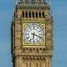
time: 6:18
